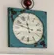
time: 11:47
